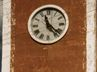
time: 11:22
